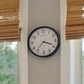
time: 3:36
